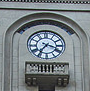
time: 3:36
